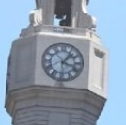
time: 1:18
